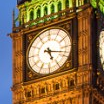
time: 5:18
